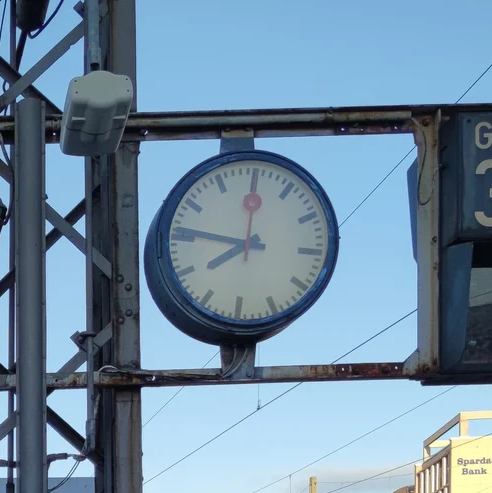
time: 7:46
